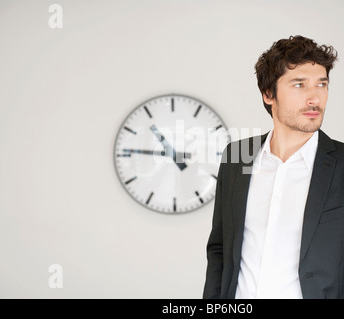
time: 10:46
